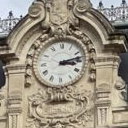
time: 3:12
